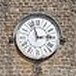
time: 2:57
